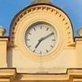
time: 7:10
